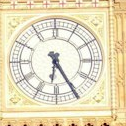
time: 6:25
